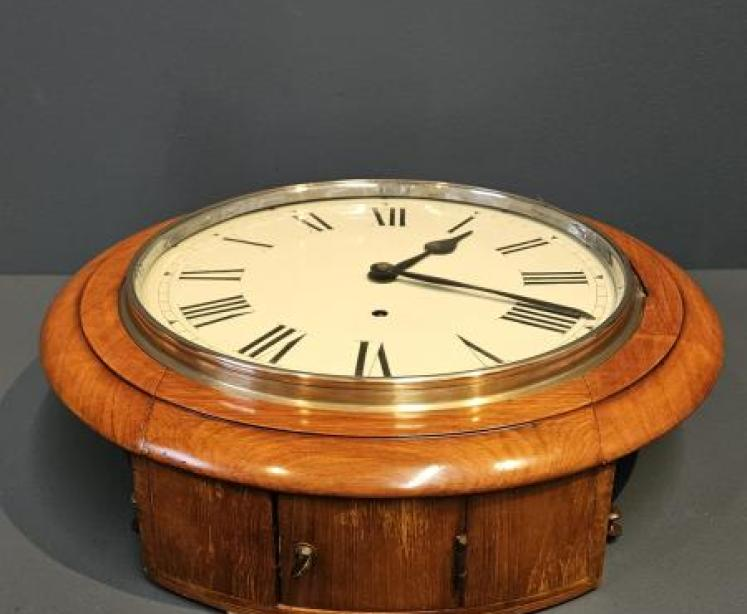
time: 1:18
